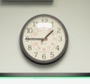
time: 1:45
